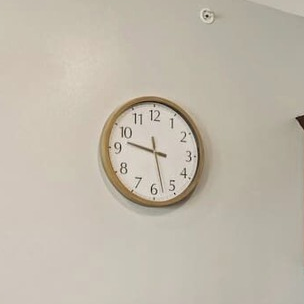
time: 9:27
